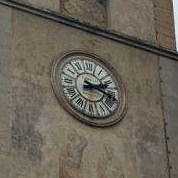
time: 2:18
